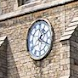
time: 1:18
